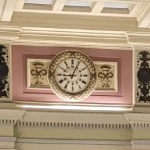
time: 9:03
